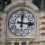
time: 12:16
